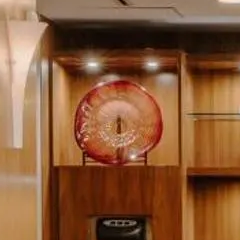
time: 6:29
